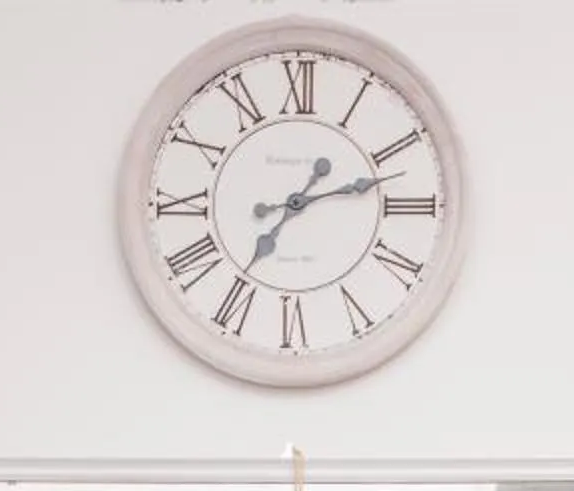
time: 7:12
